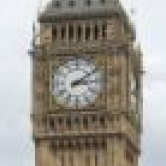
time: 3:09
